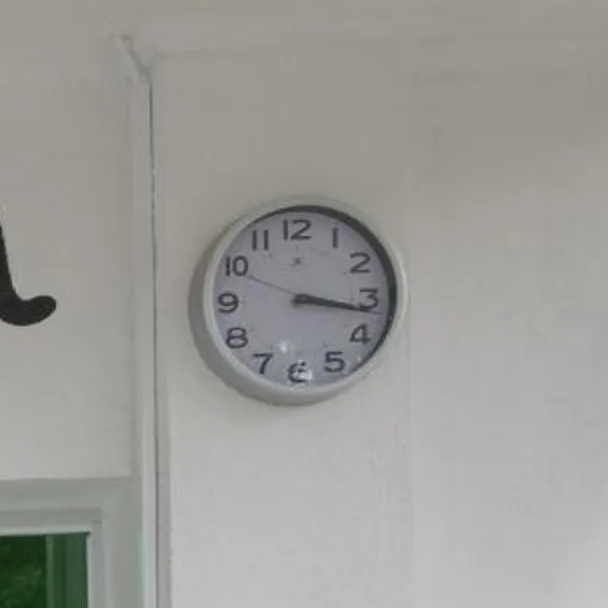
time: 3:16
